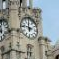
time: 11:46
